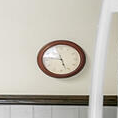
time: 5:26
